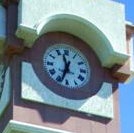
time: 11:33
